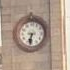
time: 6:32
